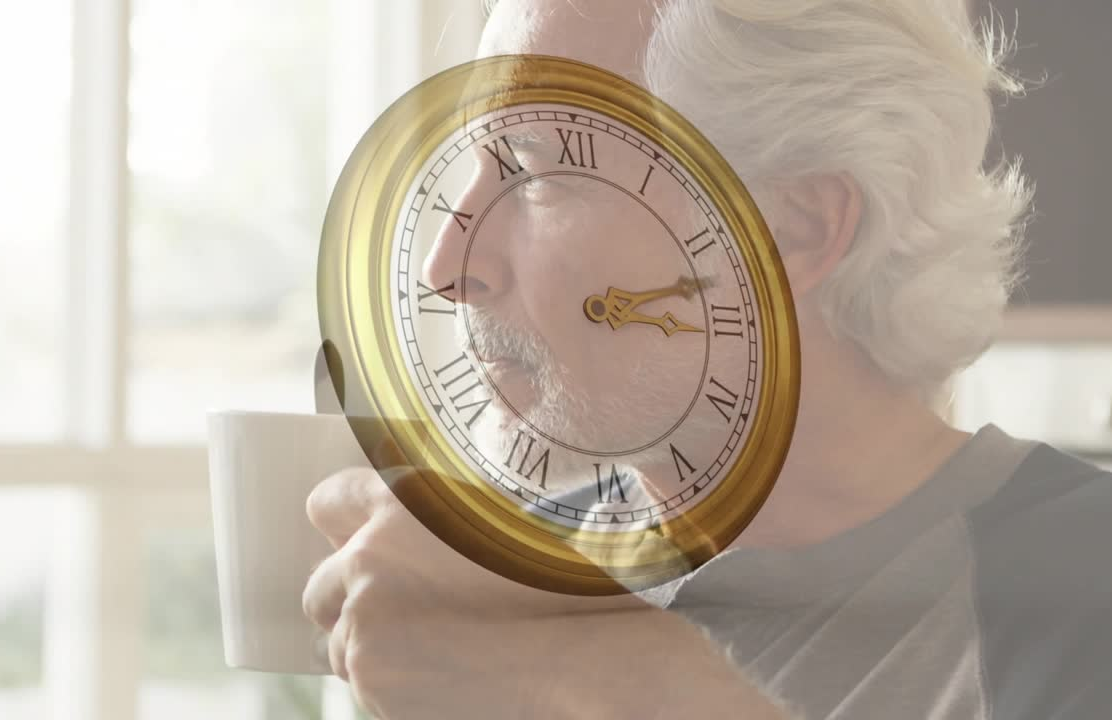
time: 3:12
